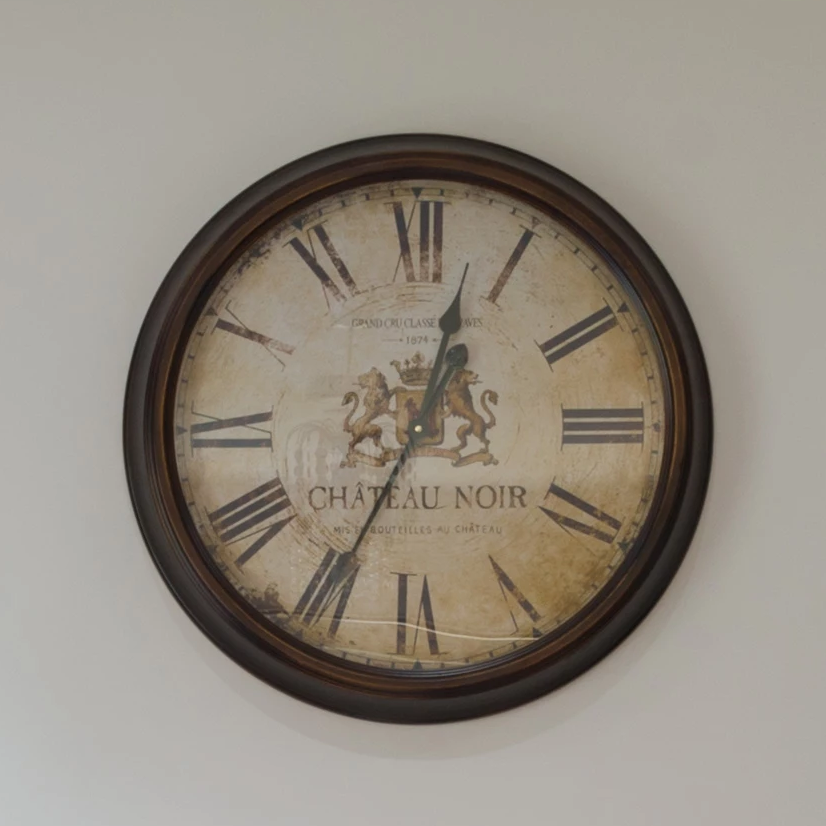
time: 12:34
